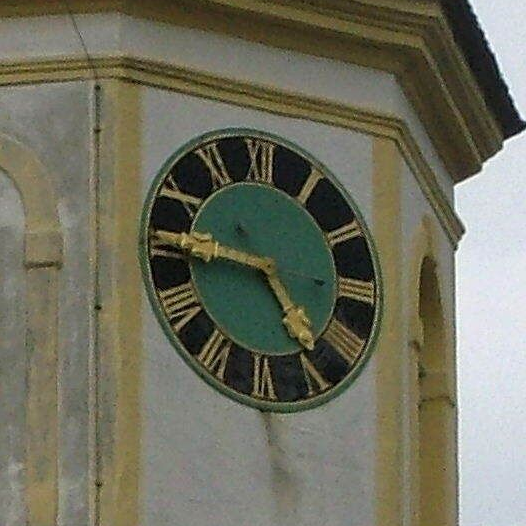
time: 4:45
